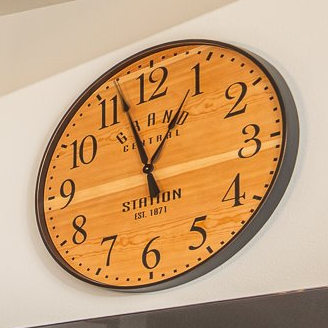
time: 12:57
